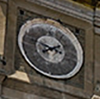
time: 7:47
